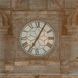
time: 7:04
